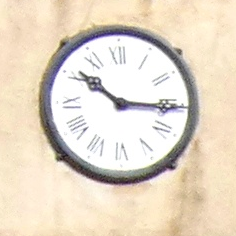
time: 10:15
